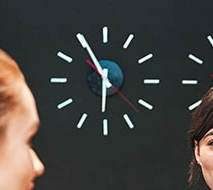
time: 5:55
